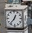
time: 12:36
